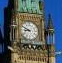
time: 8:49
